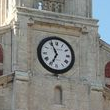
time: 6:55
